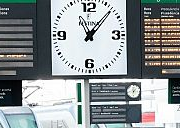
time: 11:07
